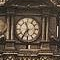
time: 11:35
